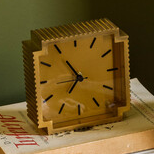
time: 6:54
